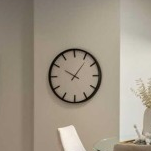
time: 10:06
